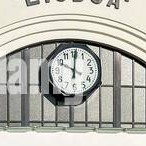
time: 10:00
